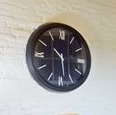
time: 10:28
